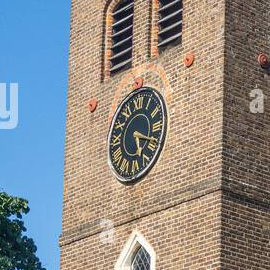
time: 5:18
